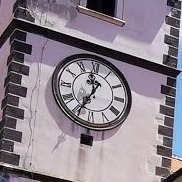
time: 11:34
